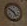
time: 4:50
